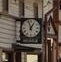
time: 12:57
